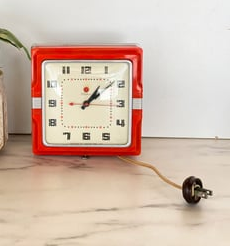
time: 1:08
